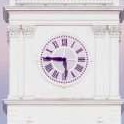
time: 5:45
